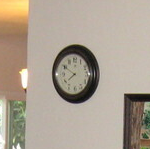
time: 7:50
